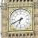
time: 6:40
